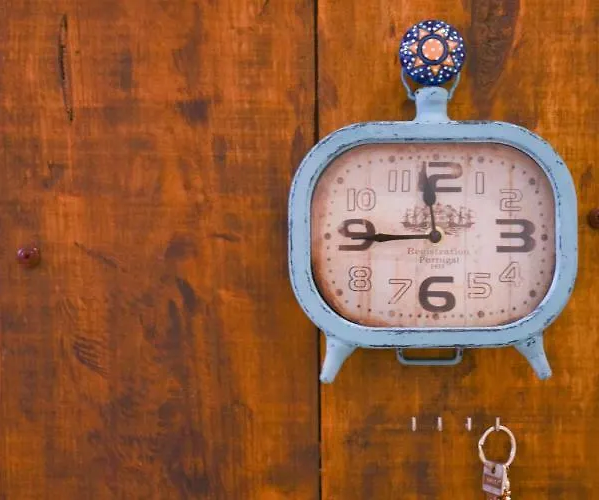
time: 11:45
